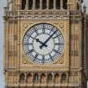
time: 10:07
